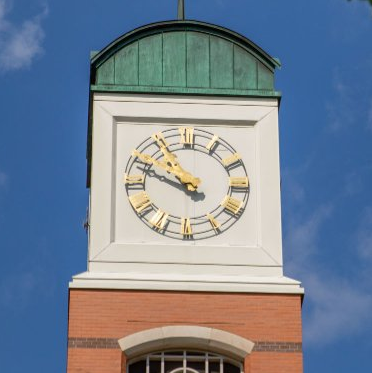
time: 10:48
